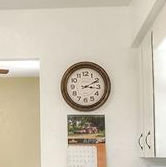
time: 3:10
